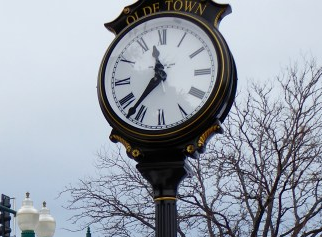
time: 11:36
